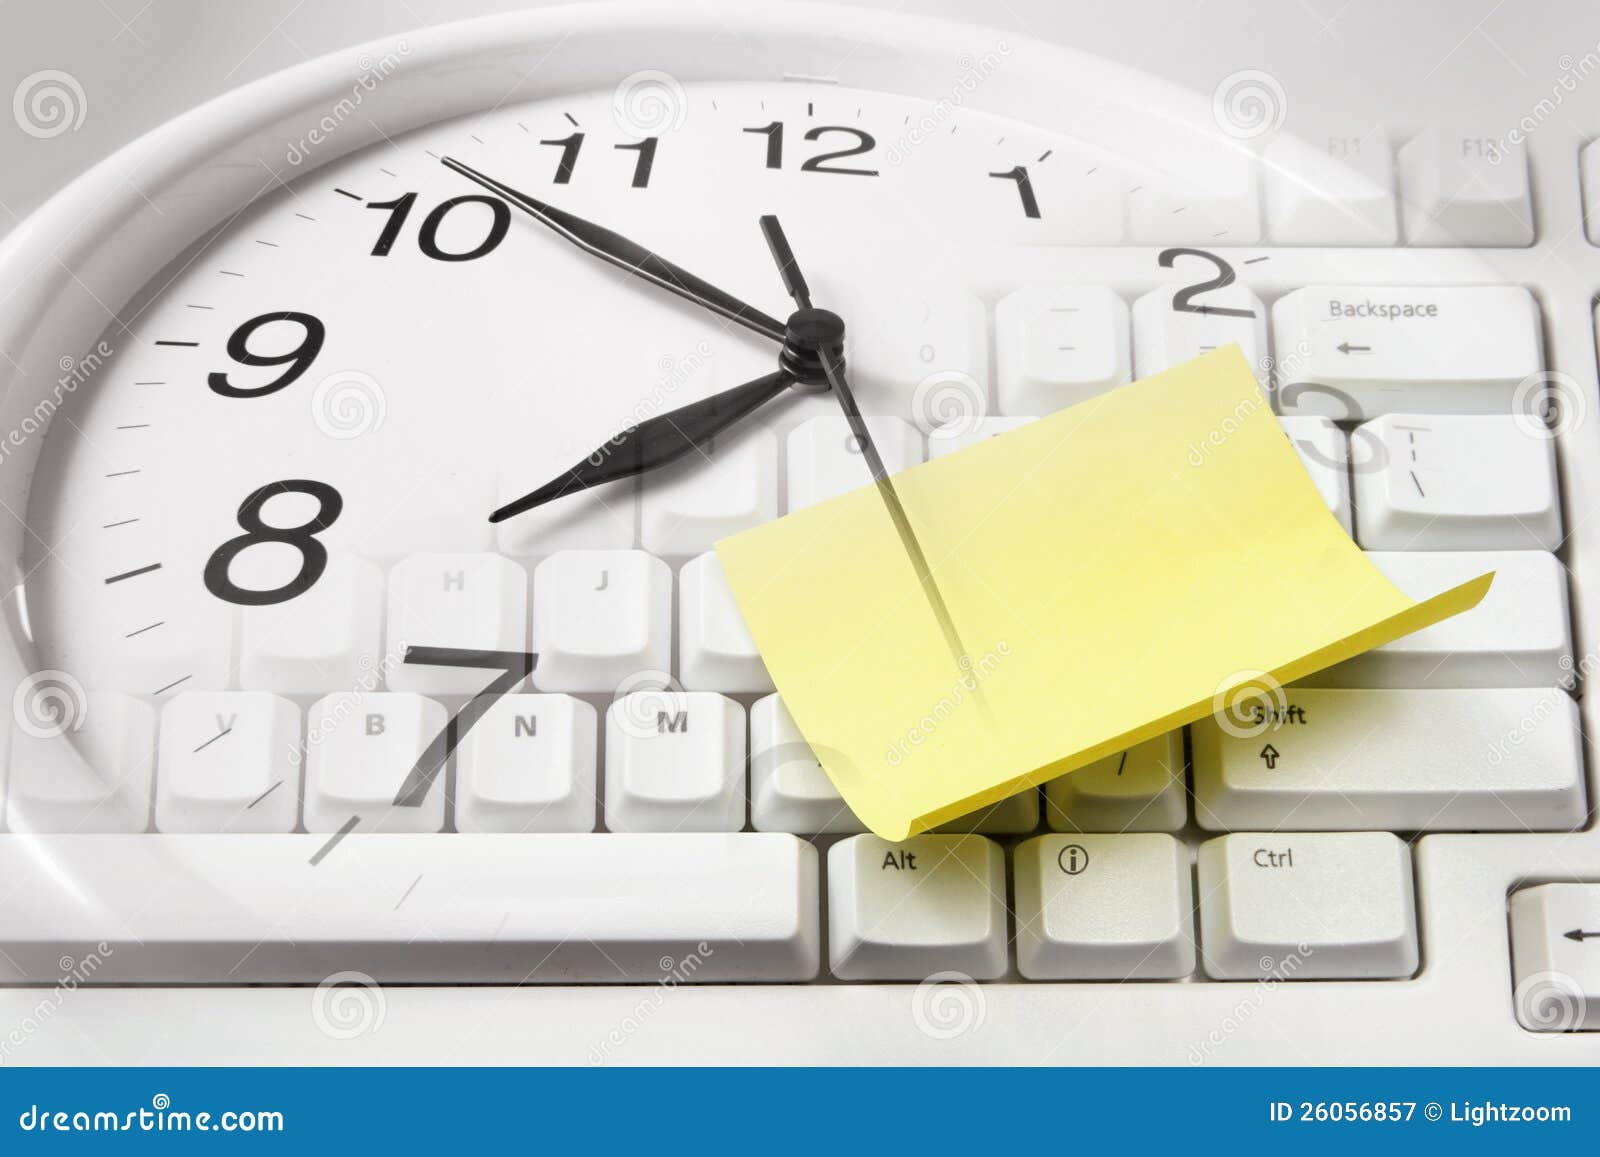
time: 7:51
